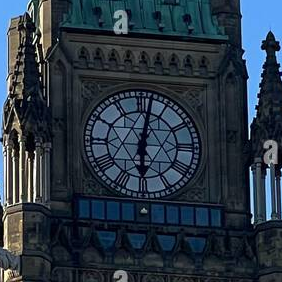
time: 6:01
